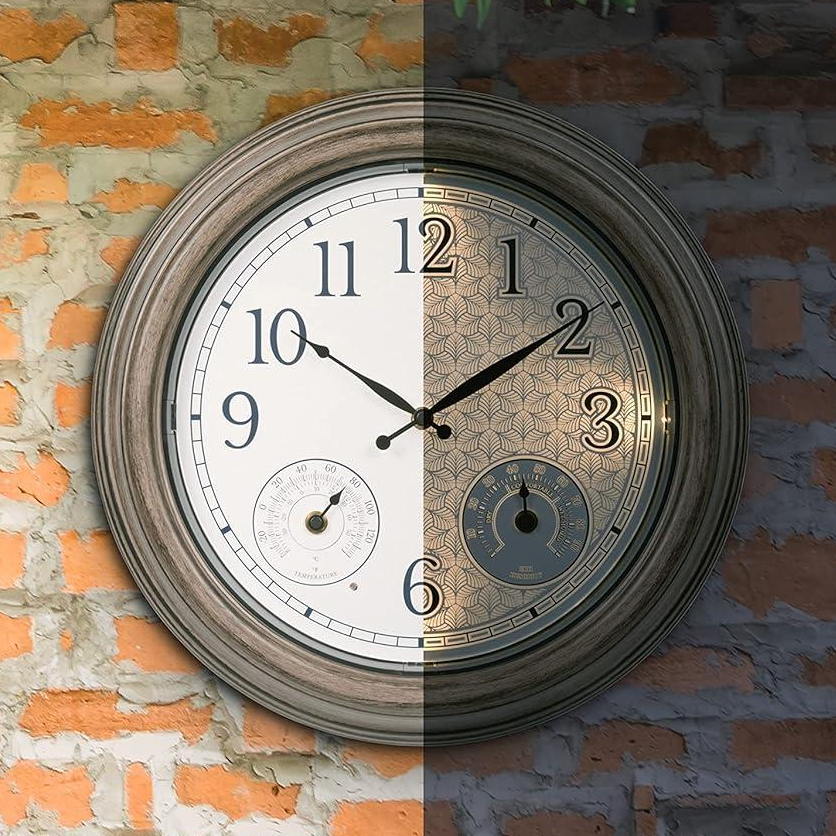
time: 1:50
